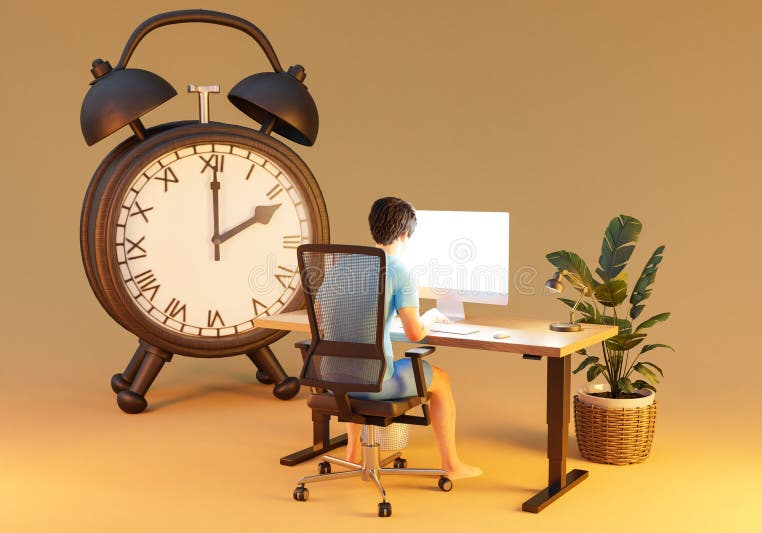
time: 2:01
